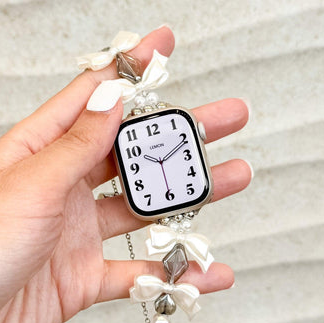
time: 10:11
